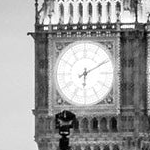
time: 6:10
